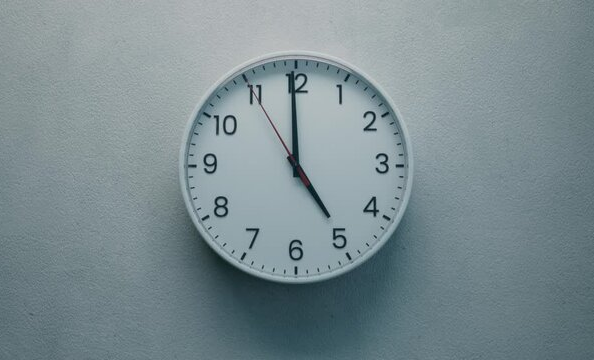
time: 4:59
